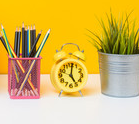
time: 5:01
